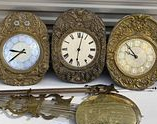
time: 6:01
